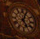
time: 5:03
